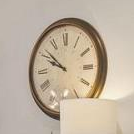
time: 9:51
